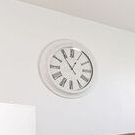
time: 12:54
